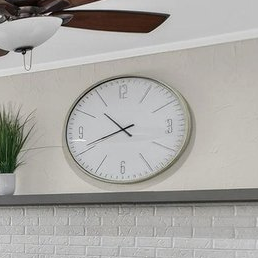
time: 10:41
